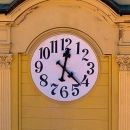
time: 12:22
